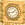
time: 1:43
